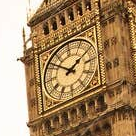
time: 1:51
